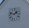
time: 1:47
